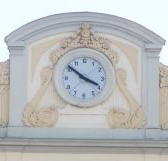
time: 3:51
